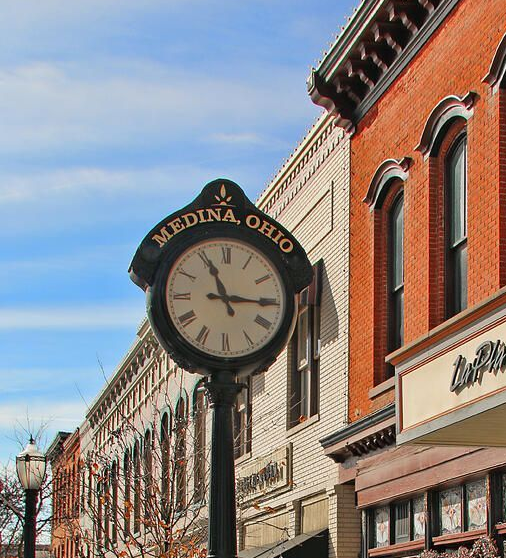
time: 11:15
